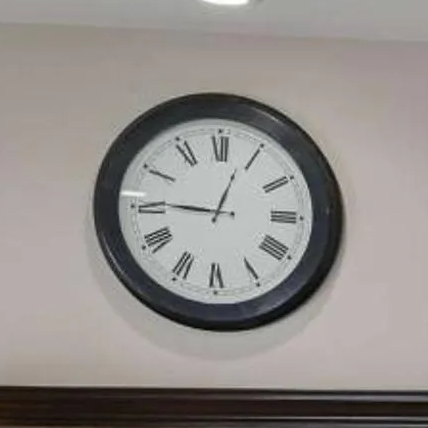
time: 12:45
